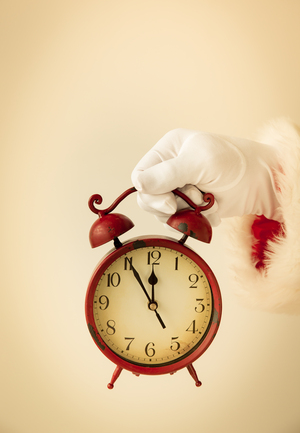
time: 11:55
